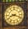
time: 8:18
